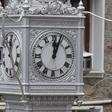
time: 12:03
